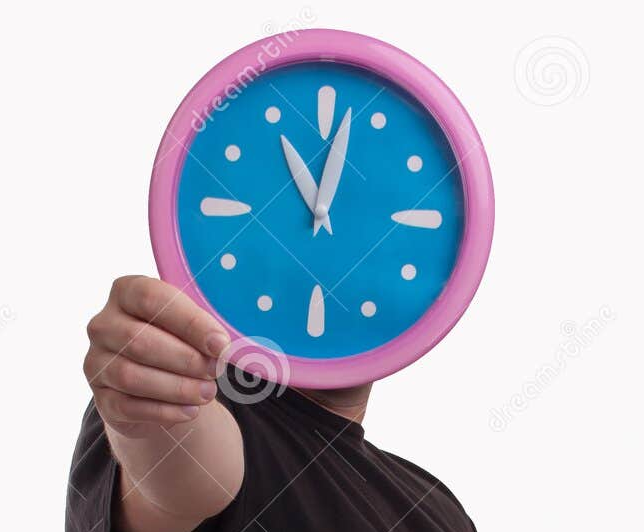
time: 11:02
